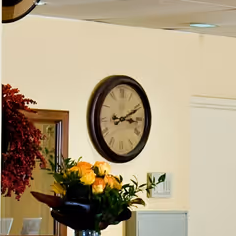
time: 3:11
